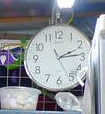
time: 2:14
